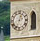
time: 12:33
